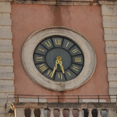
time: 5:33
